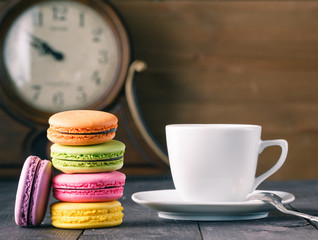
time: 9:51
